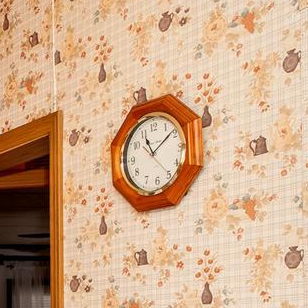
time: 11:09
